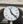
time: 11:22
